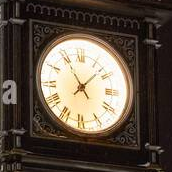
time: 11:07
